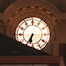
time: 6:34
